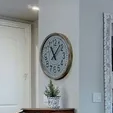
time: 11:07
